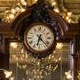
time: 6:22
